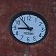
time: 8:53
